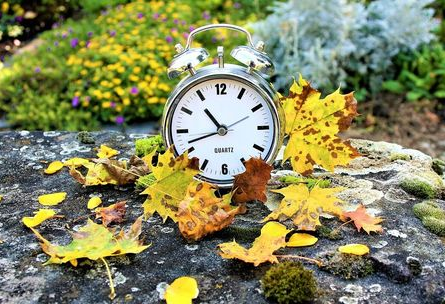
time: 10:41
